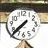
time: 7:37
